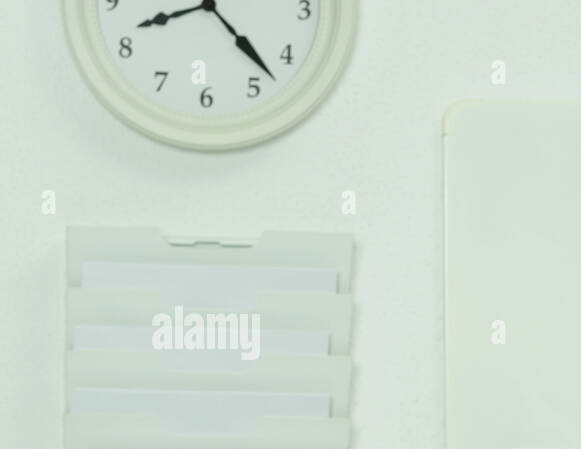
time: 8:22
